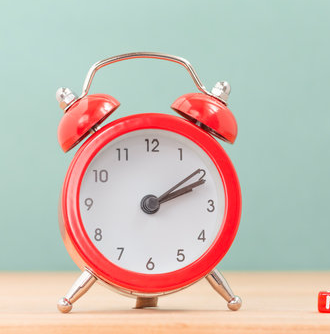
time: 2:09
